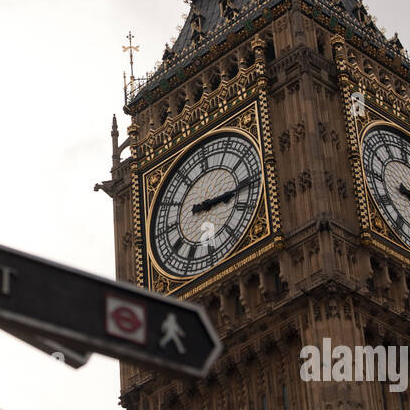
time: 3:15
